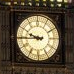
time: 9:44
